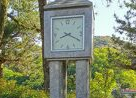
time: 8:19
